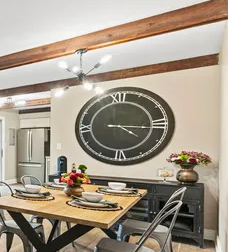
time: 4:16
